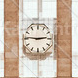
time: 2:46
